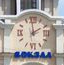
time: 1:59
